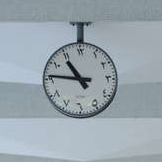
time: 10:46
